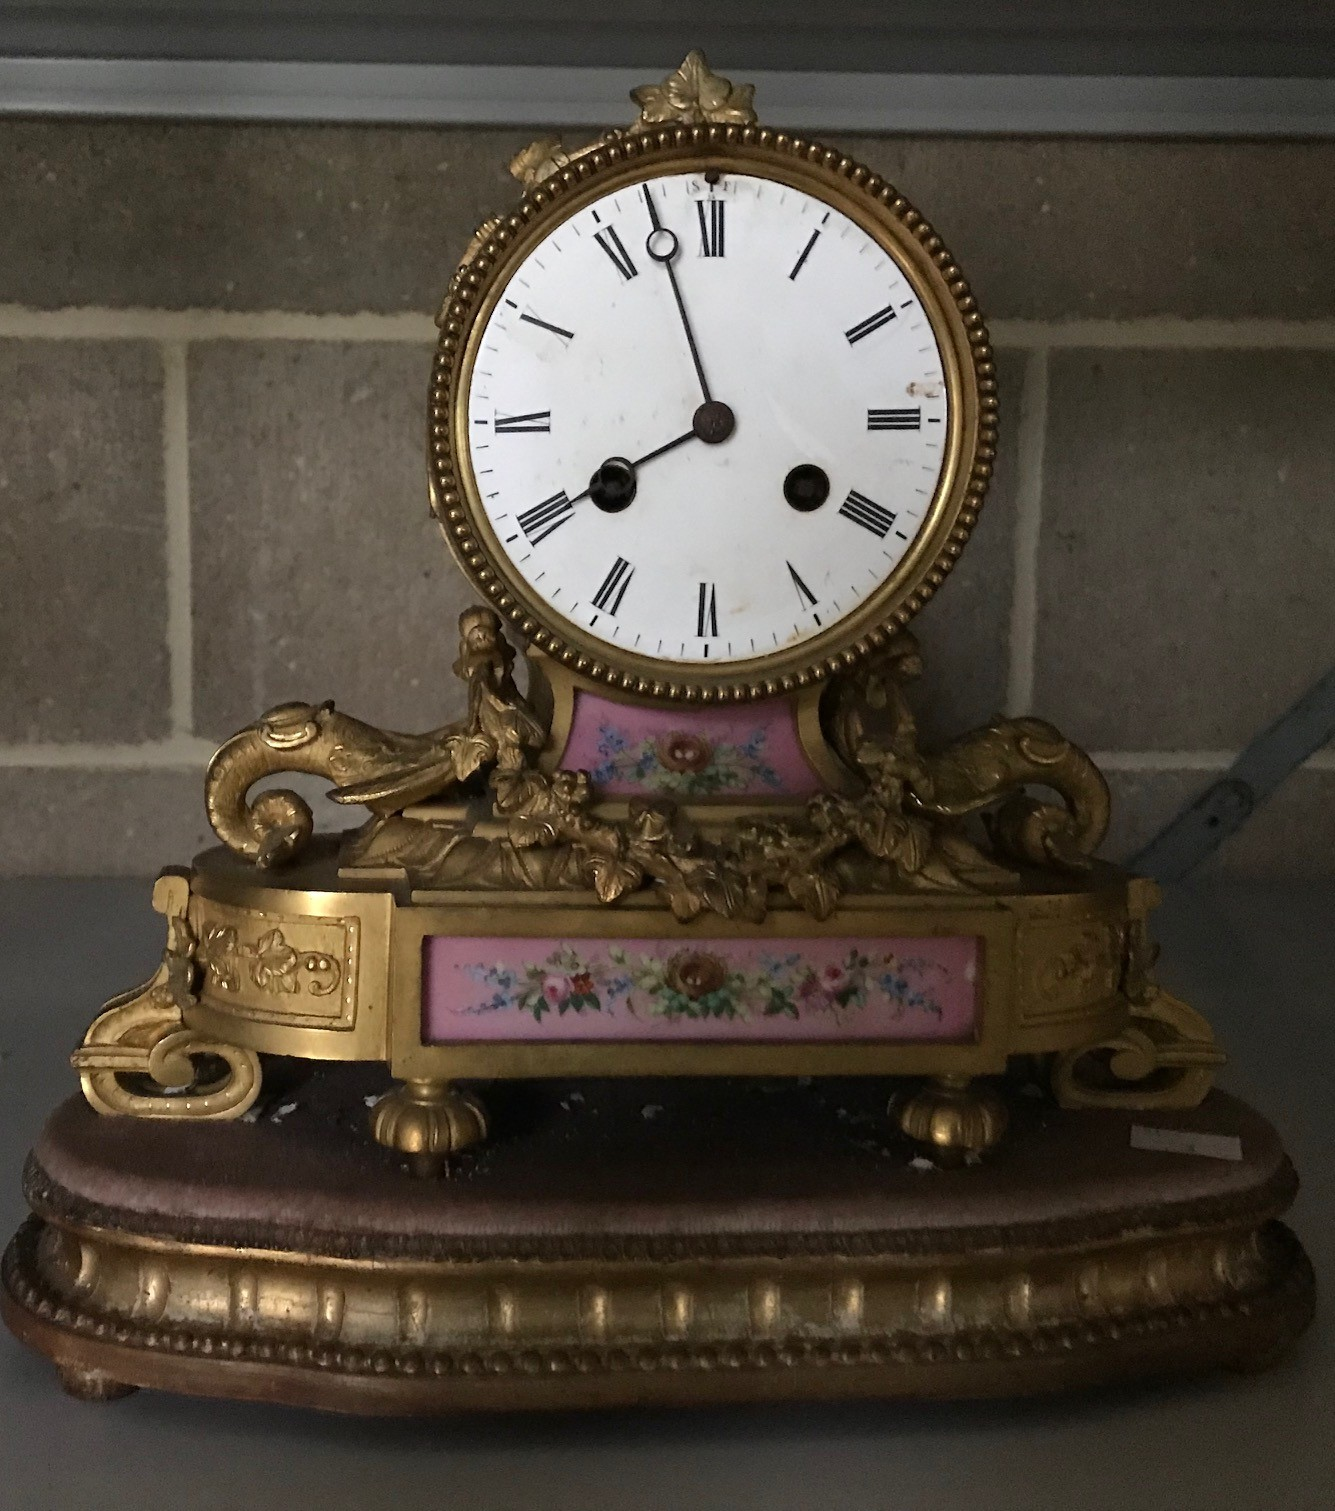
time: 7:57
